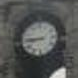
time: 8:45
